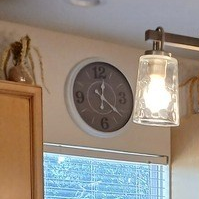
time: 12:21
